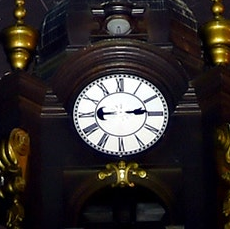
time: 2:44
